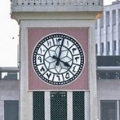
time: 4:02
